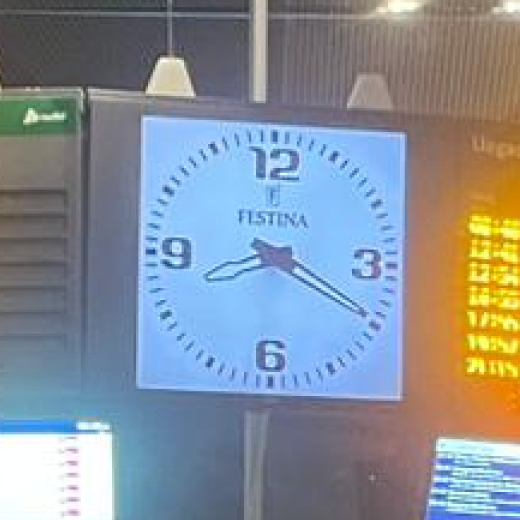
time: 8:19
